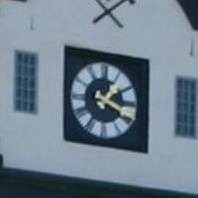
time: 1:18
